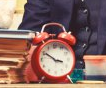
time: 3:50
